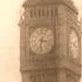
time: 3:32
